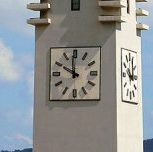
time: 9:59
